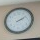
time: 2:09
